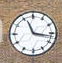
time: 11:16
